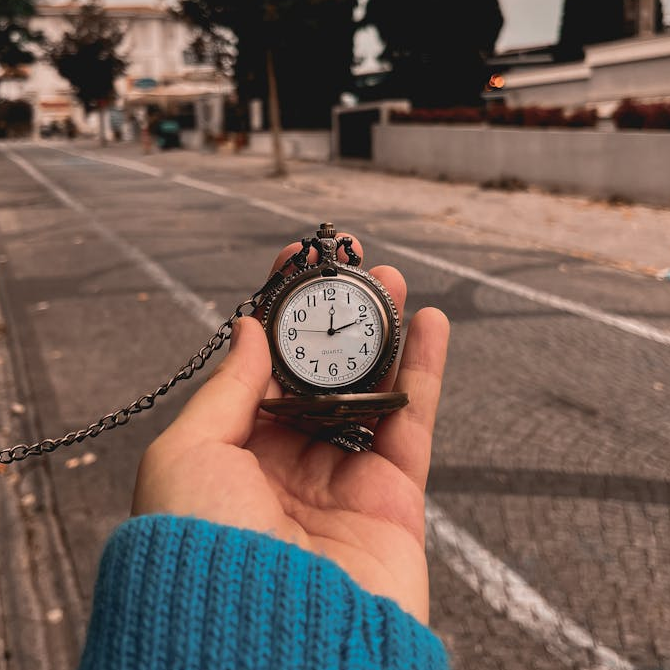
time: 12:11
